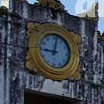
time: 9:01
